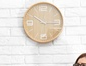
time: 10:14
